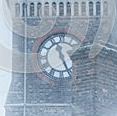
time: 11:25
